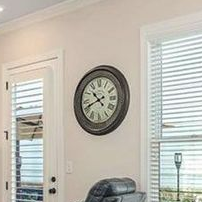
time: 10:41
